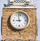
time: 8:58
